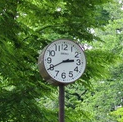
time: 2:40
